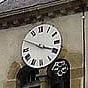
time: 3:50
